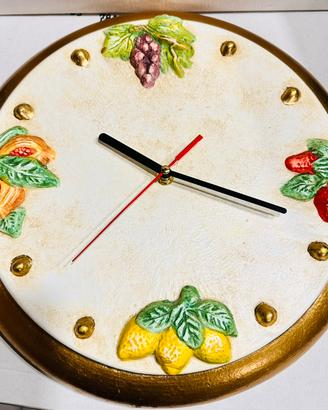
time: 10:18
